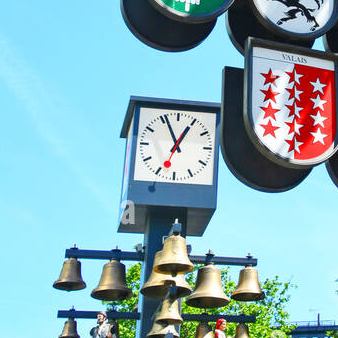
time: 12:56
